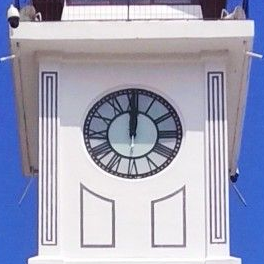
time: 12:00
